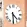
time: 4:29
